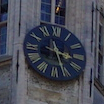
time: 3:26
